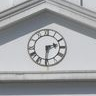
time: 2:30
